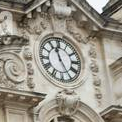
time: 11:25
